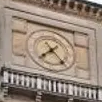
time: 7:23
